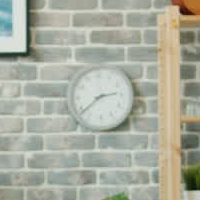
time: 2:38
